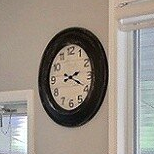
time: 2:18
